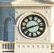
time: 8:12
